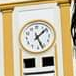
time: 1:26
